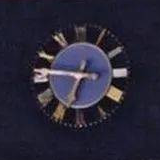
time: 6:46
